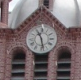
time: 11:28
